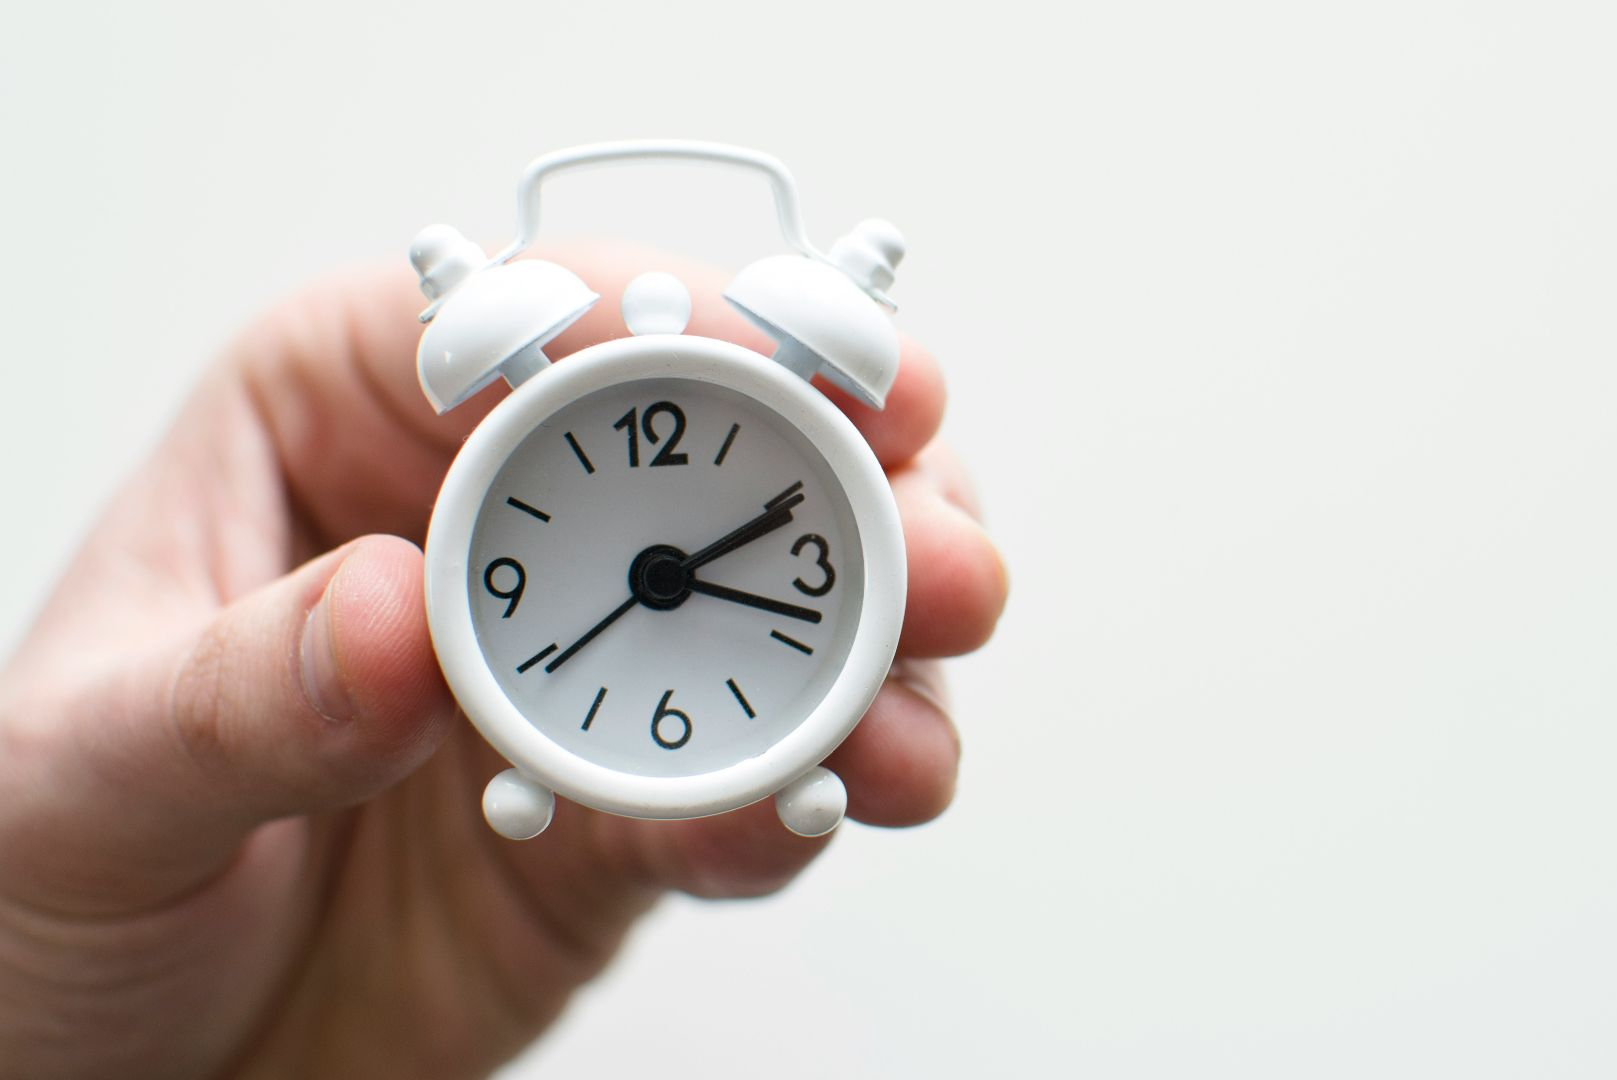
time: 2:18
